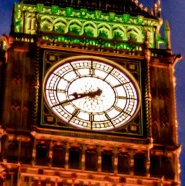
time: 8:40
